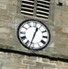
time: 12:32
